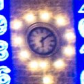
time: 6:08
